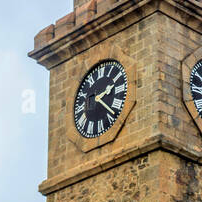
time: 2:21
